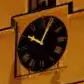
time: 10:04
